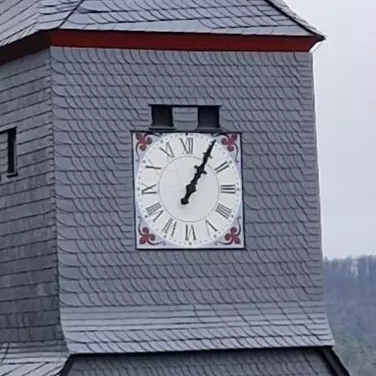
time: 1:05
